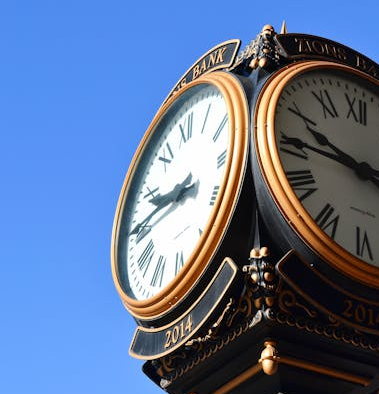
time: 9:45
